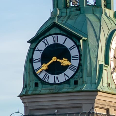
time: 3:39
